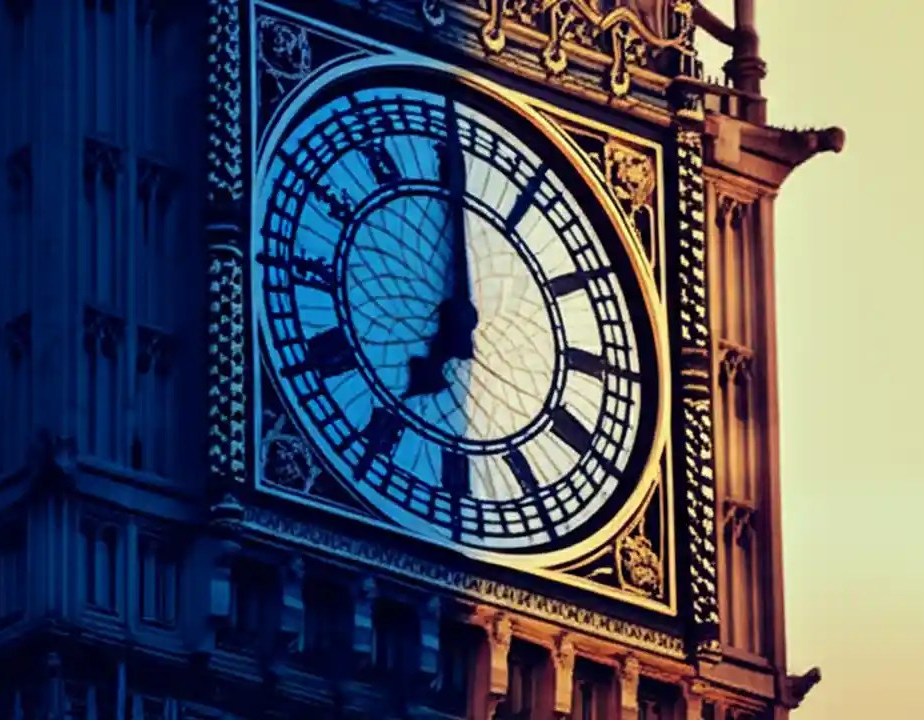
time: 6:59
